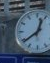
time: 12:38
